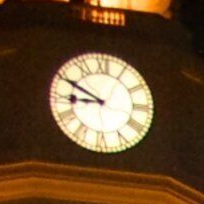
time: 8:49
